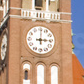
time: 3:00
